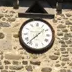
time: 1:37
